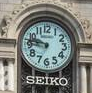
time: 9:46
